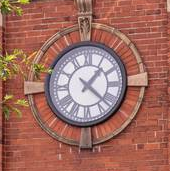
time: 1:22
